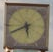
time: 5:40
